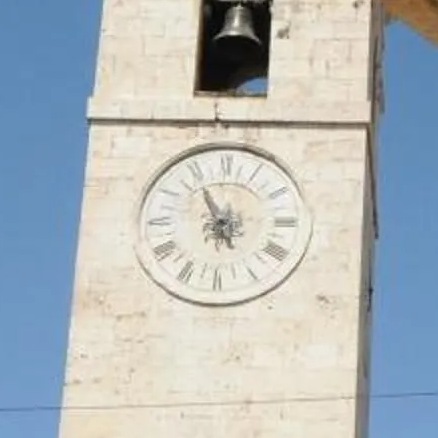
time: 4:55
